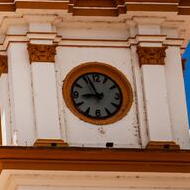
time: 8:56
